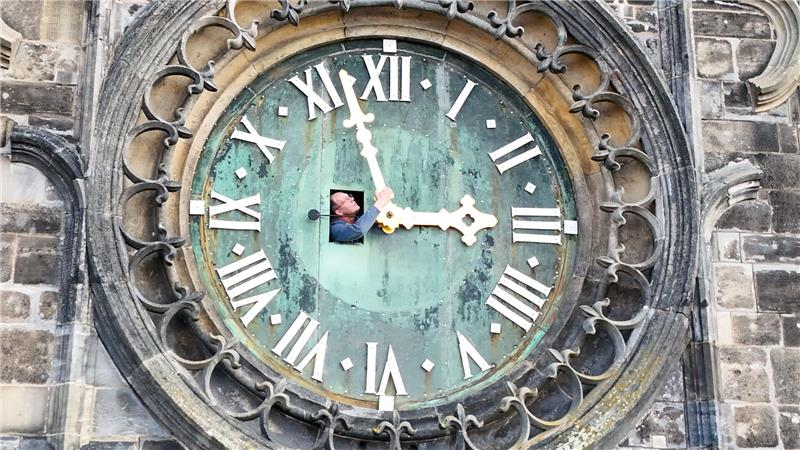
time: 2:57
